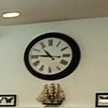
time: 10:45
